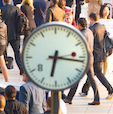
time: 6:16
